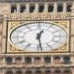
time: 12:28
